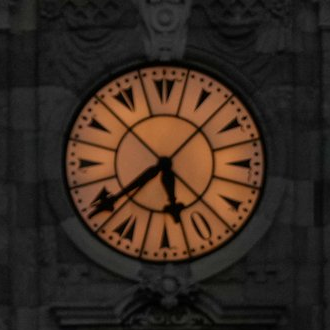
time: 5:39
